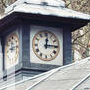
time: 12:14
